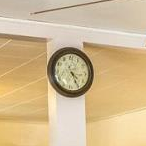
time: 4:25
